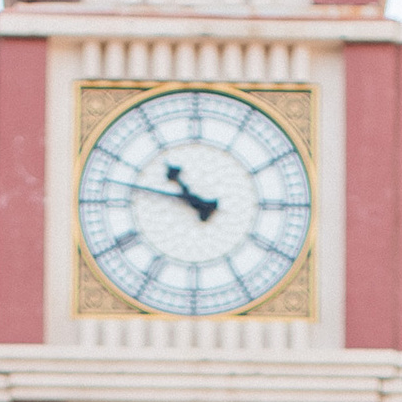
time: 10:47
